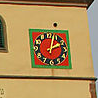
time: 2:02
